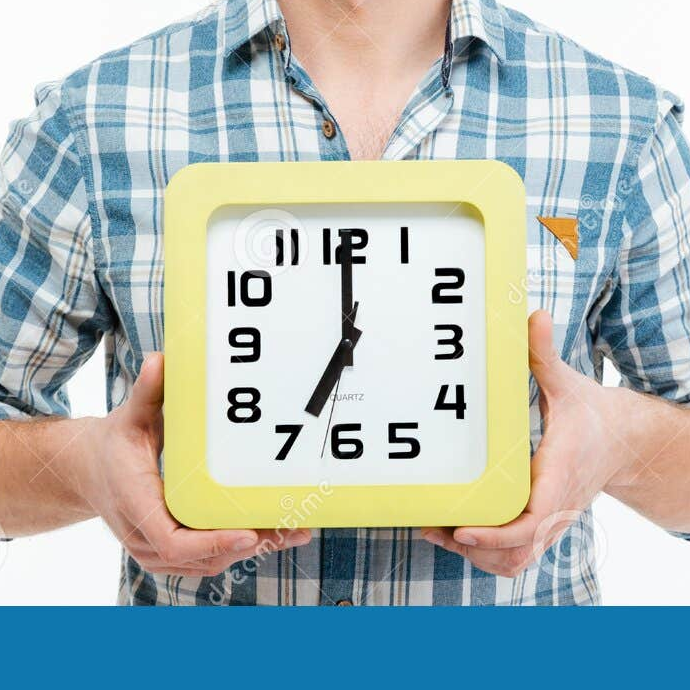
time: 7:00
